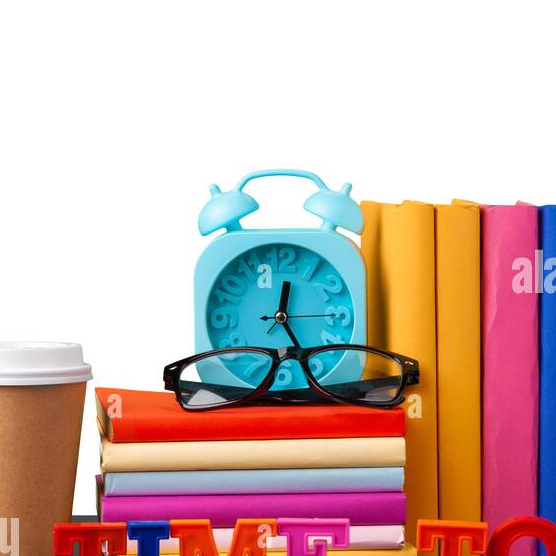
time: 12:25
